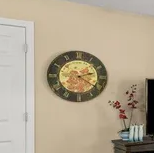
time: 2:21
